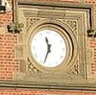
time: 11:33
